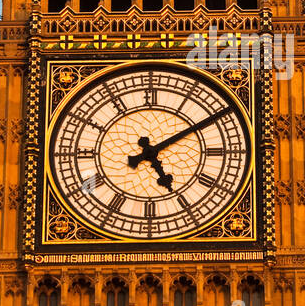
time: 5:09
